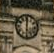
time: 6:00
